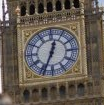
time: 12:33
